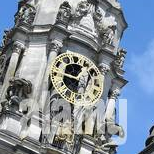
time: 12:46
